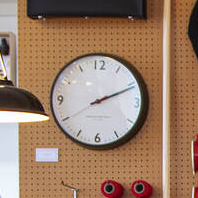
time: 2:11
